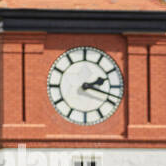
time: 2:18
